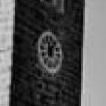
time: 12:07
